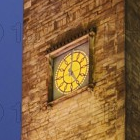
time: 12:24
